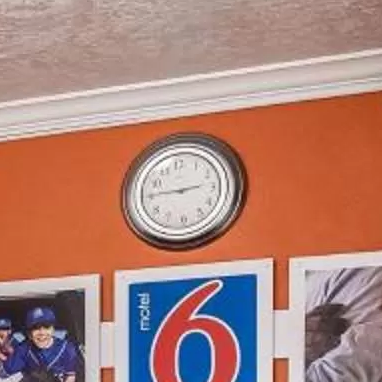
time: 2:45
